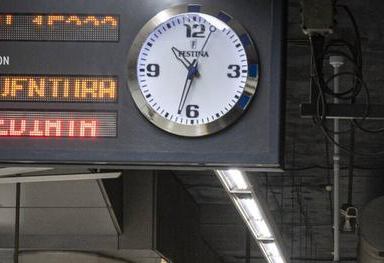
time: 10:32
